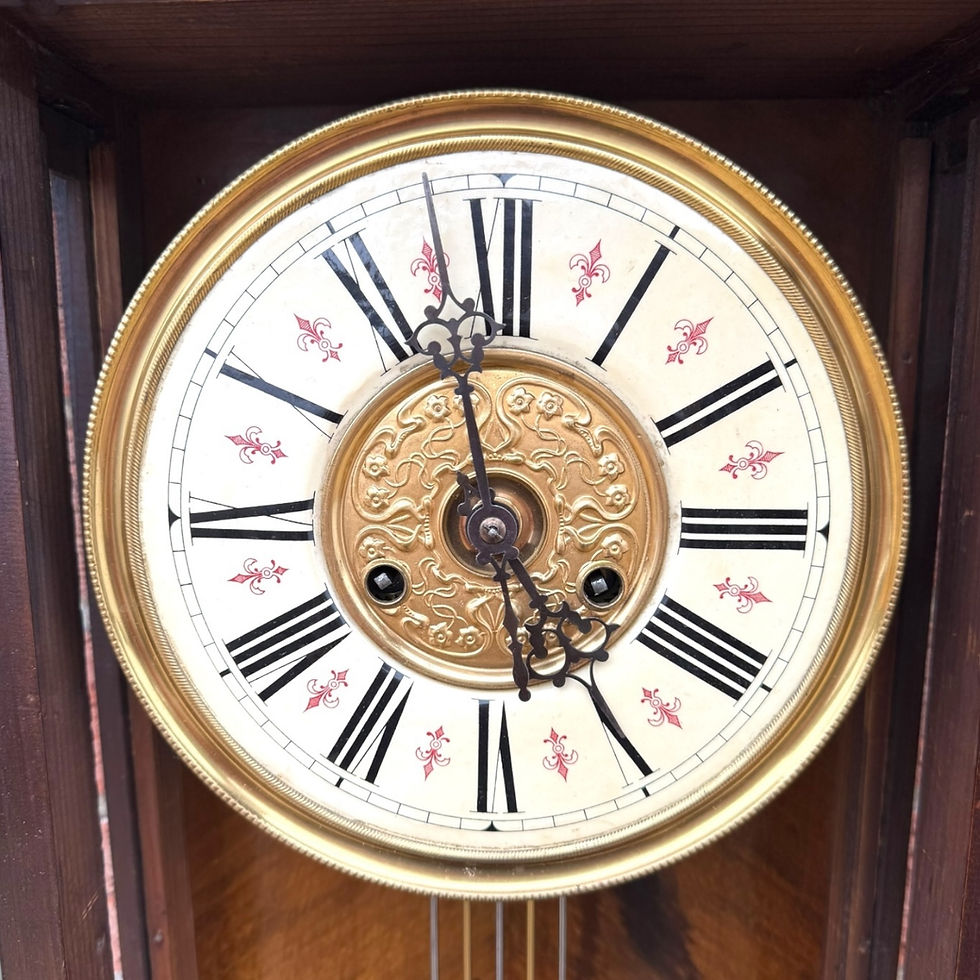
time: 4:57
